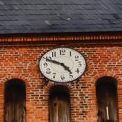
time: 4:49
